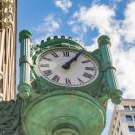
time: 1:05
